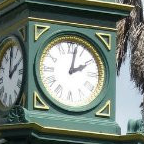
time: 2:01
